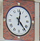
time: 12:23
